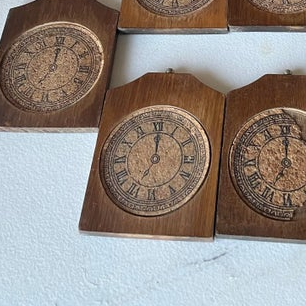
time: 12:00
